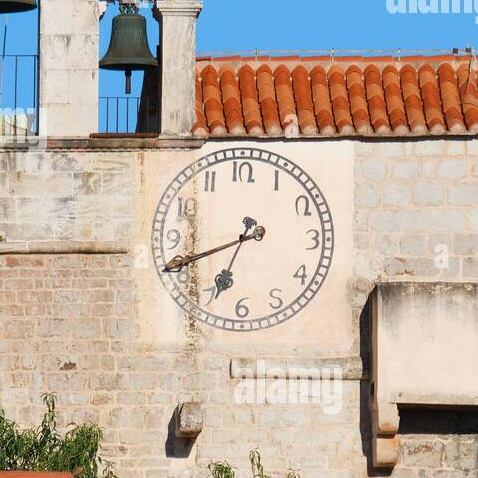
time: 6:41
